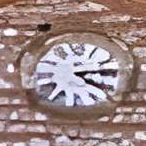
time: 4:13
